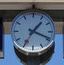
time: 1:18
